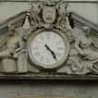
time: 4:23
